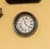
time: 11:21
